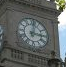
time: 3:01
